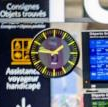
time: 1:46
